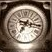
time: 7:15
